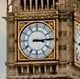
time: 3:14
